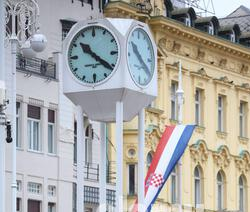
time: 10:21
